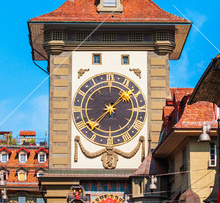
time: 1:37
